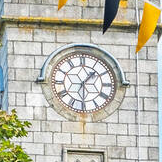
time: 1:30
